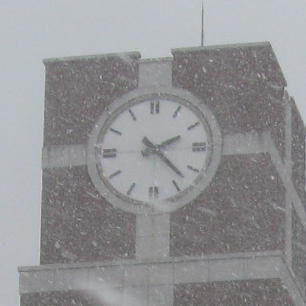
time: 2:22
